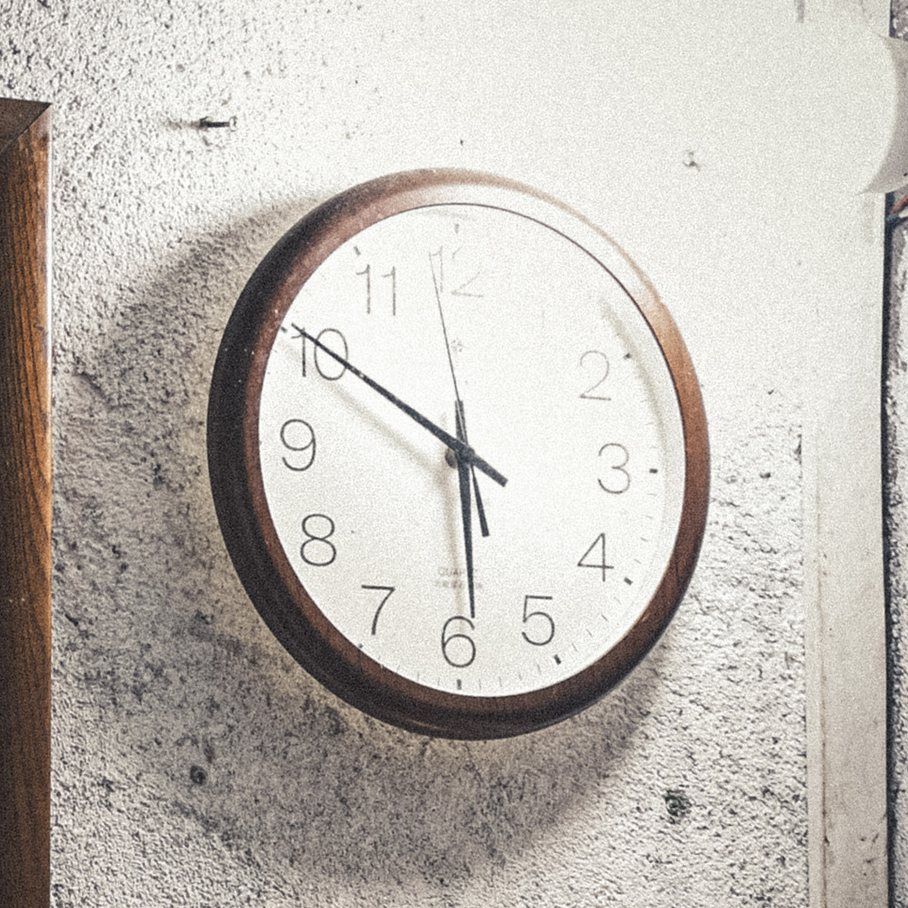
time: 5:50
